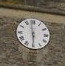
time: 5:58
